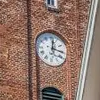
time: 12:16
